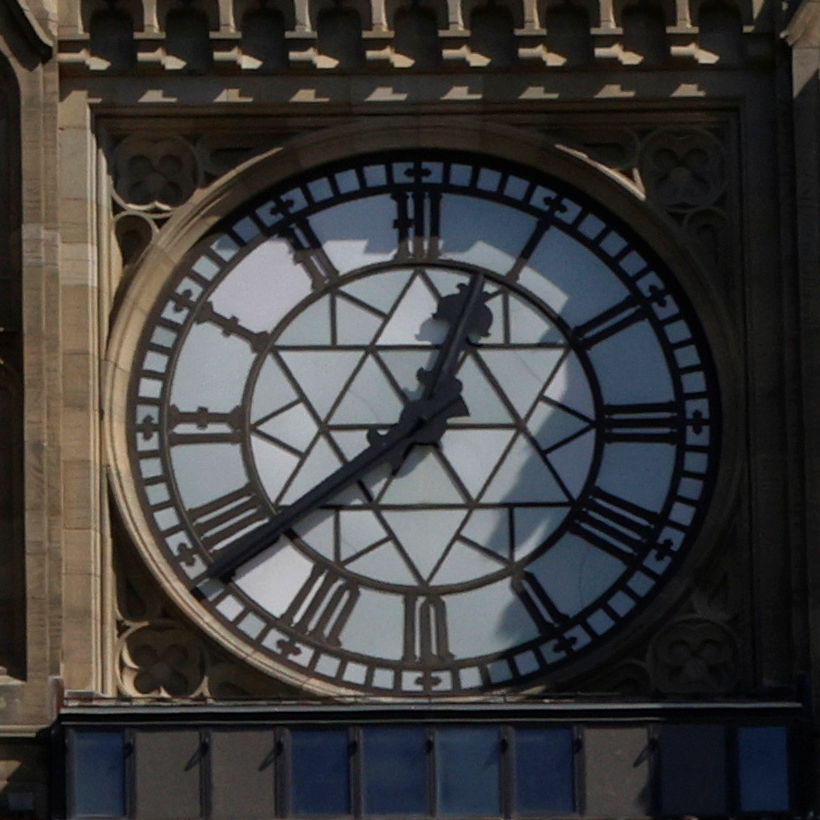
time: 12:38
